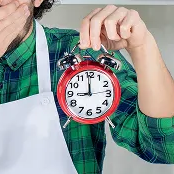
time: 8:59
